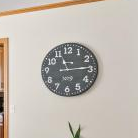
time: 11:14
